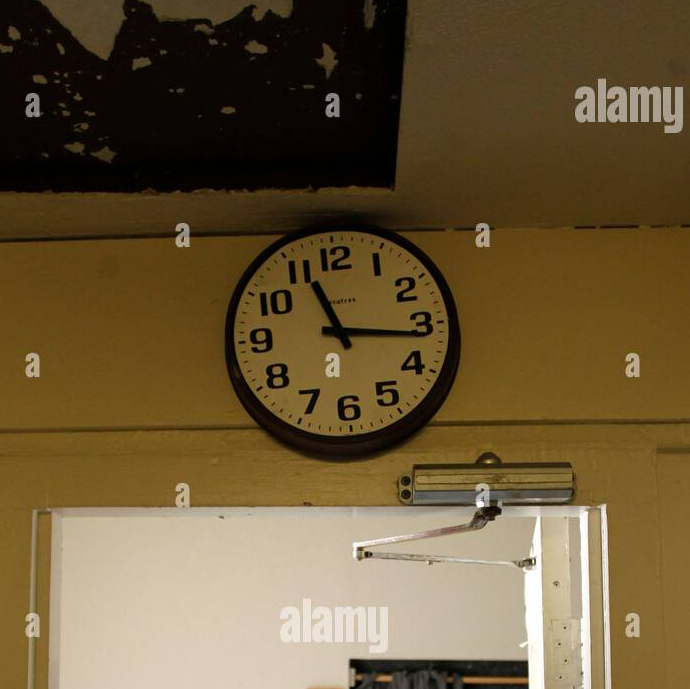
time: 11:16
